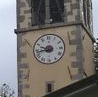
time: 9:42
